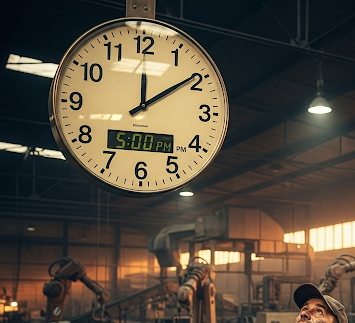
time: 12:09
